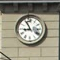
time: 8:54
